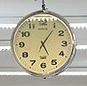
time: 5:06
